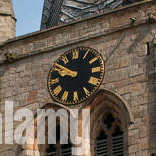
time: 9:51
